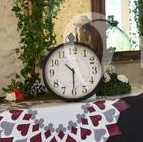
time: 10:30
